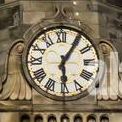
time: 6:05
